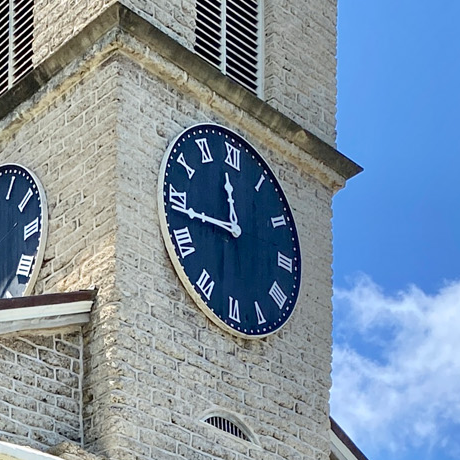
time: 11:43
